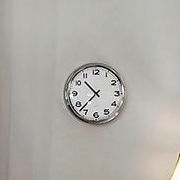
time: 10:37
